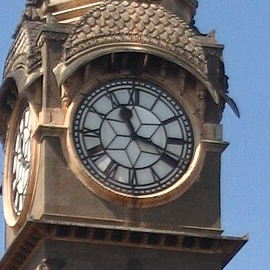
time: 11:18
